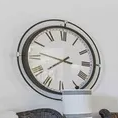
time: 7:46
